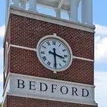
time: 3:29
